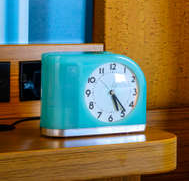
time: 5:23
